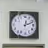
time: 12:11
